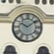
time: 10:08
